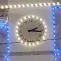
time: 2:15
